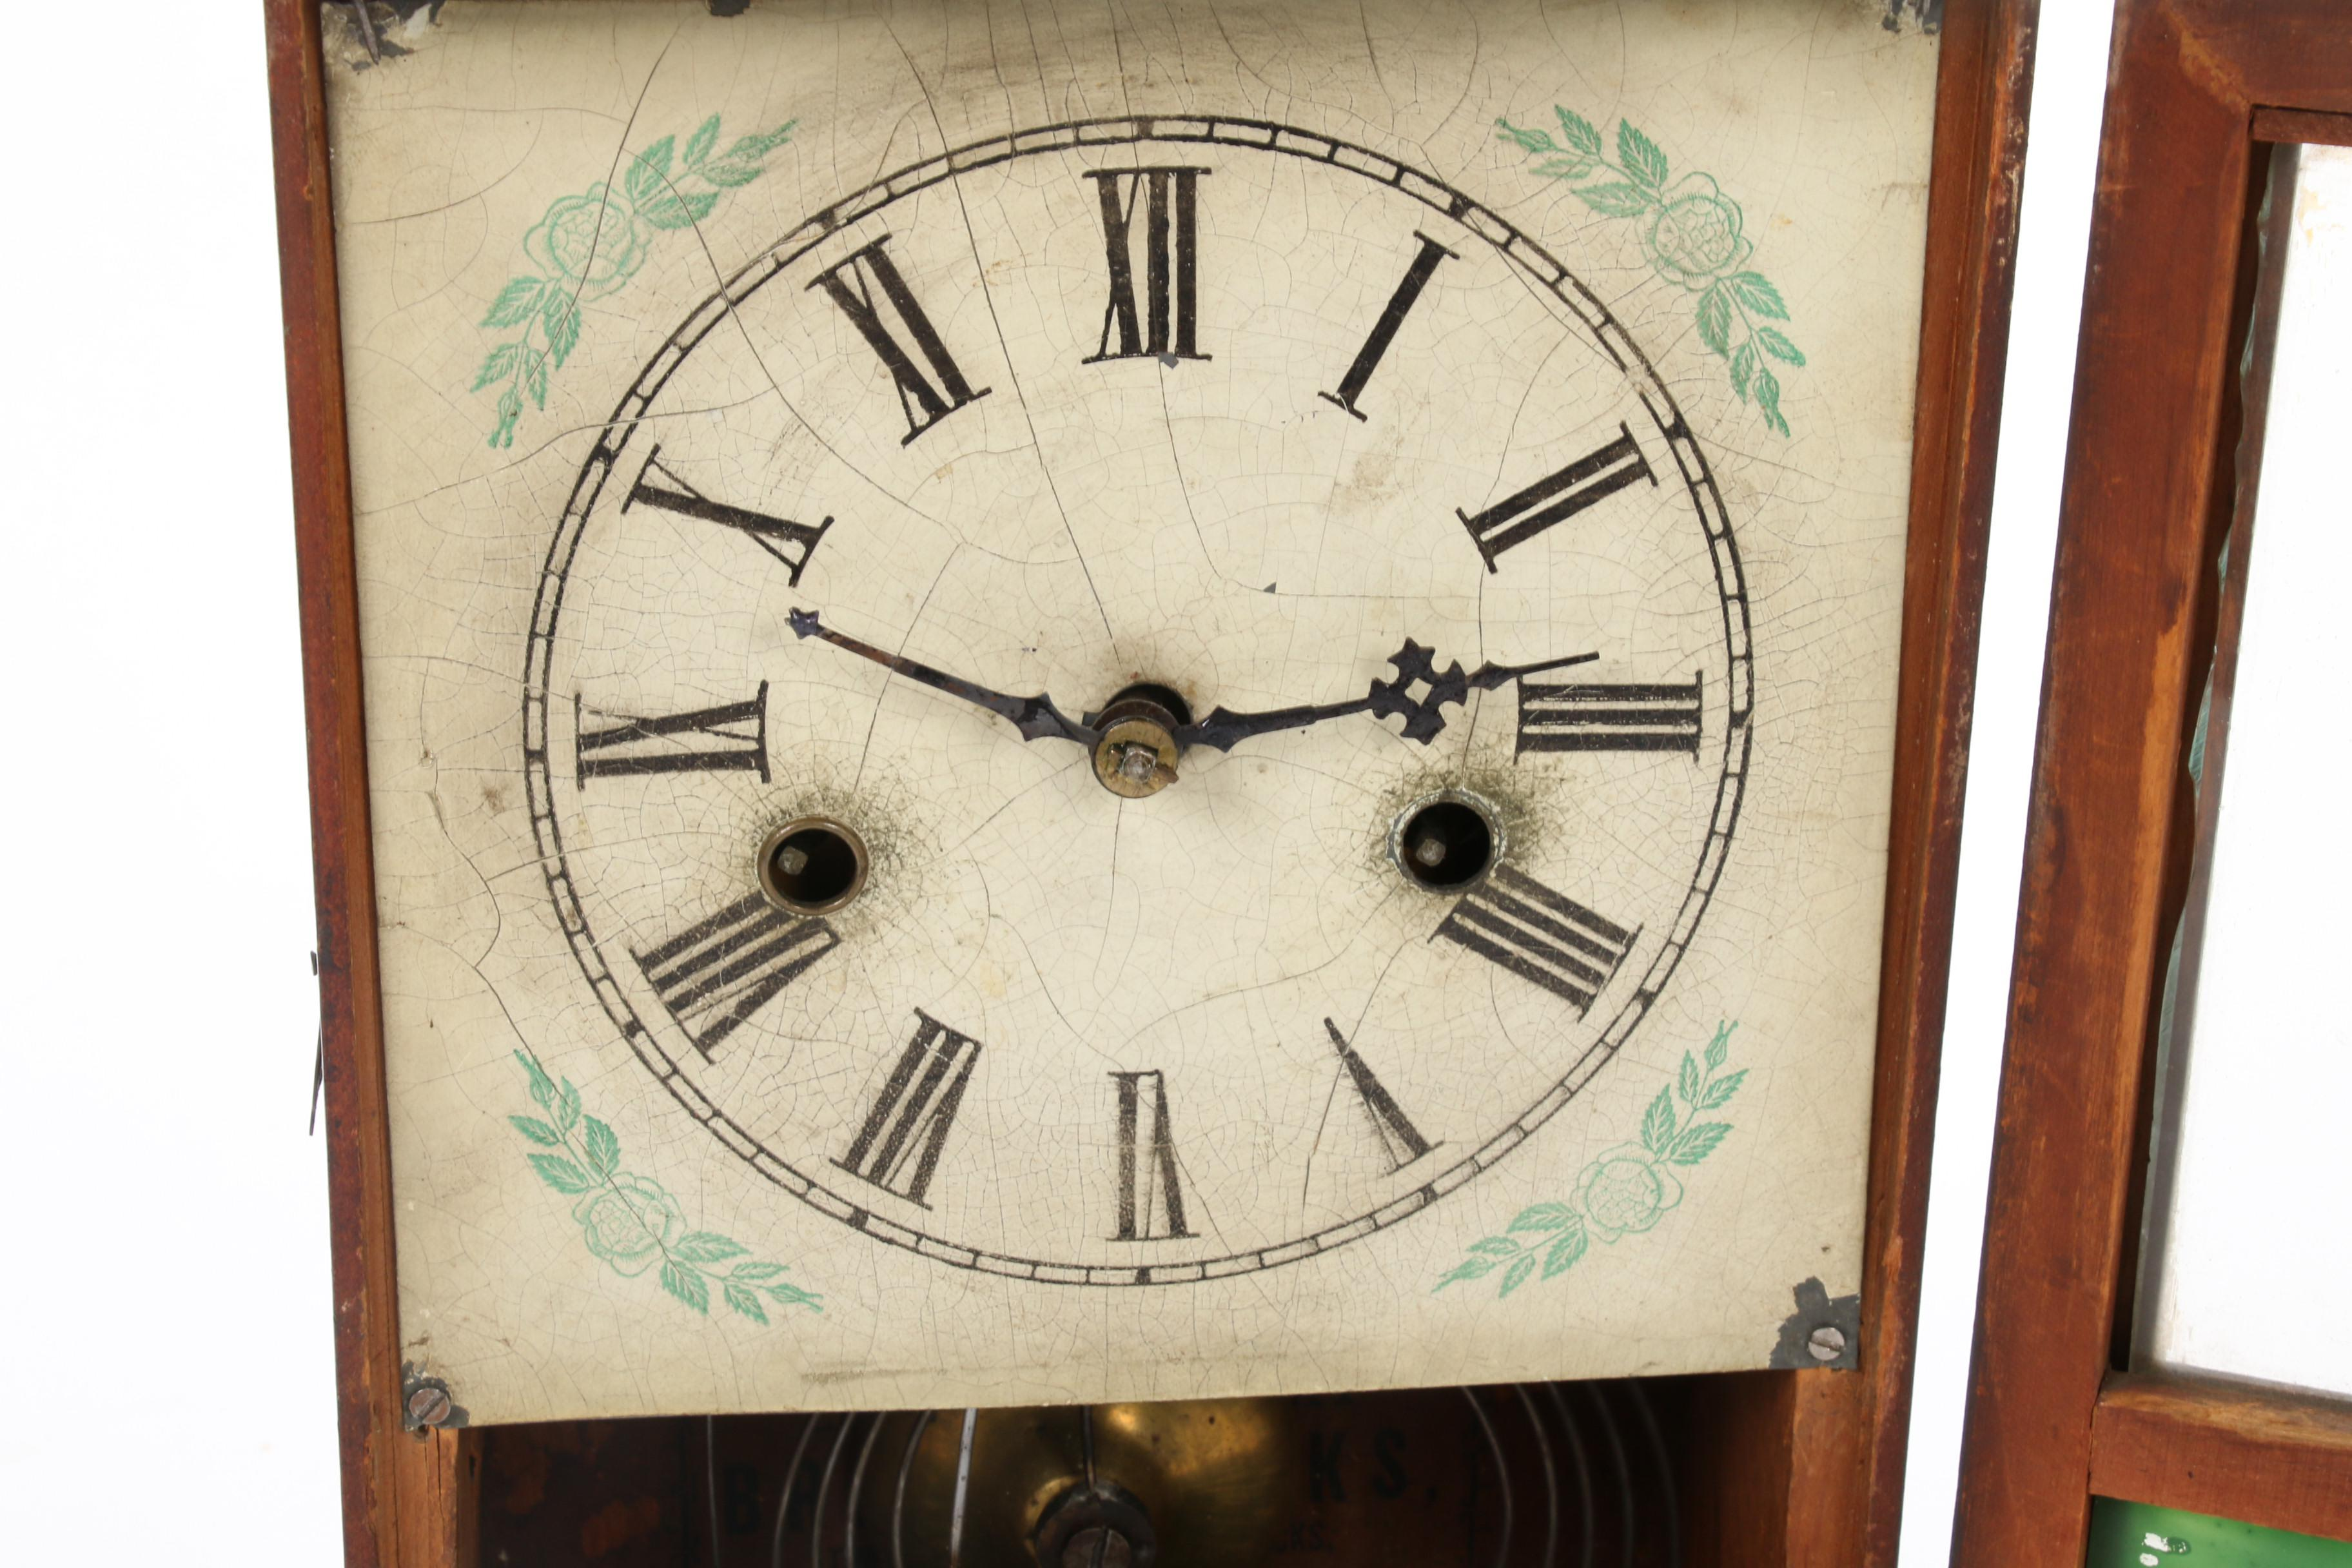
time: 2:48
